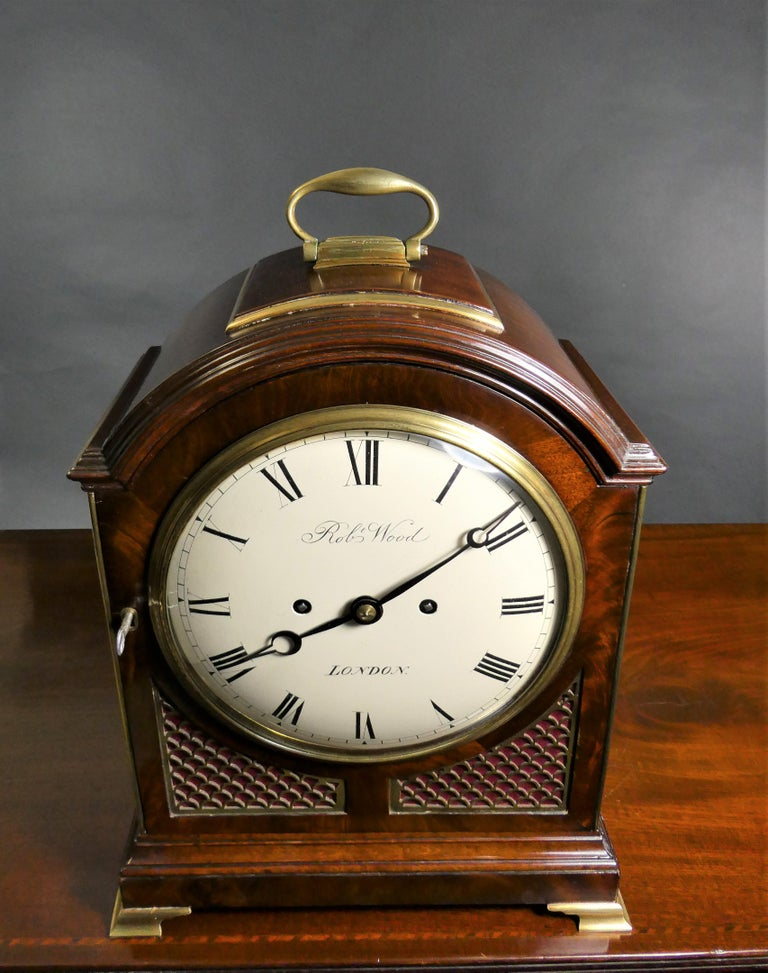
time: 8:09
